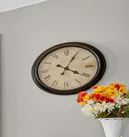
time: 4:04
